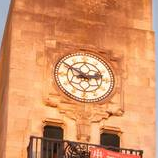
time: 2:50
